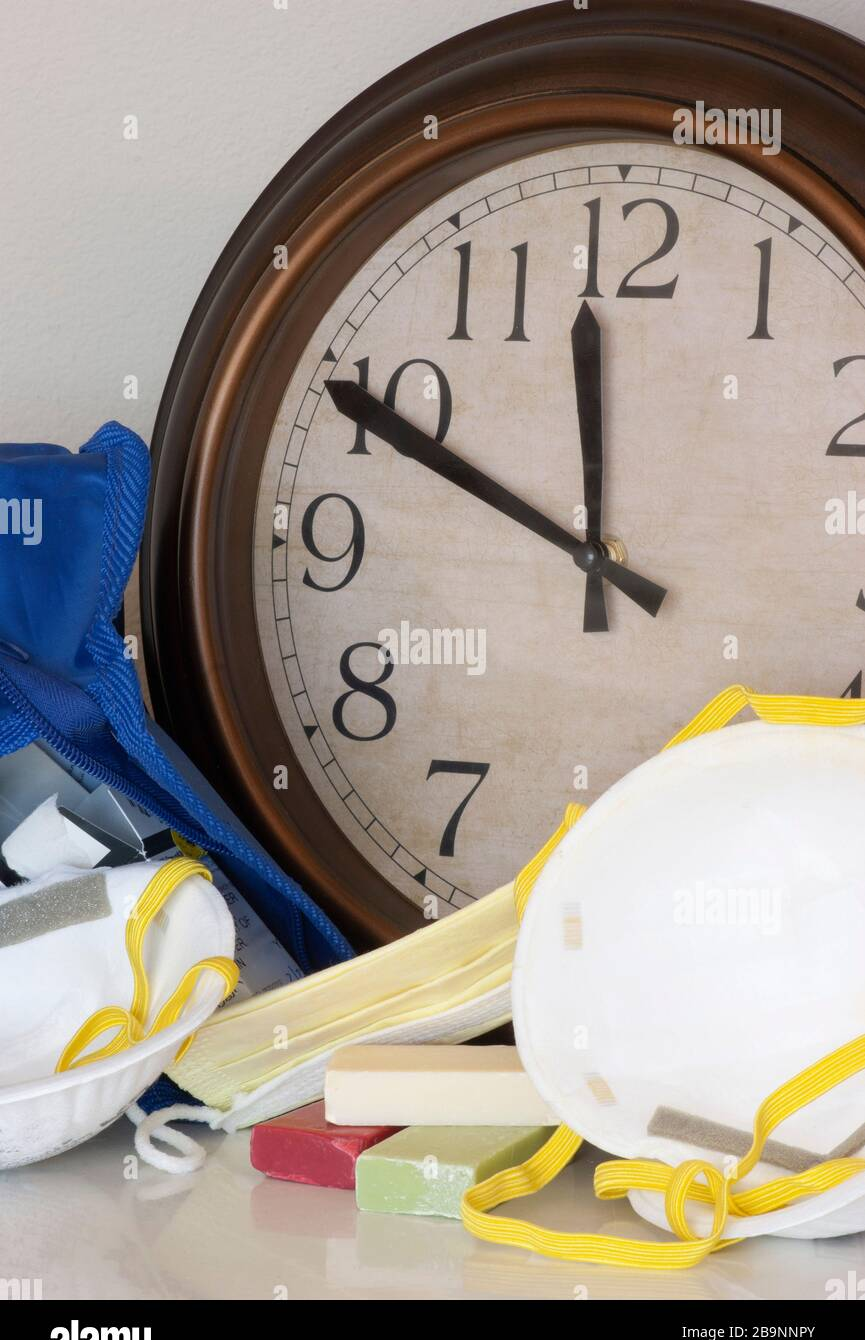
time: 11:49
